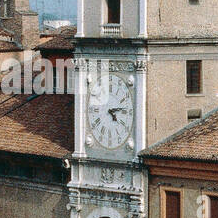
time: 4:13
